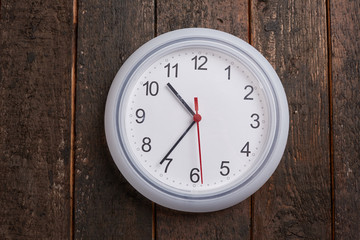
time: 10:36
